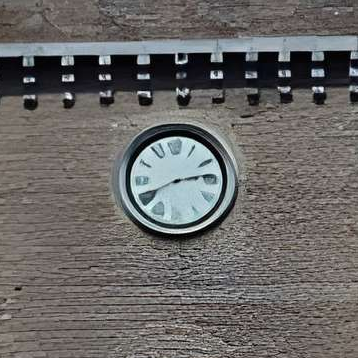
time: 2:40
